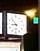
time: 8:53
